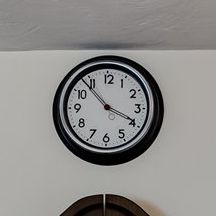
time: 3:52
